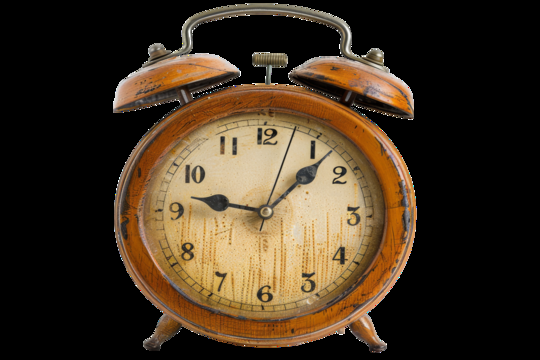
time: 9:07
